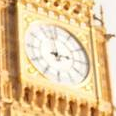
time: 2:58
